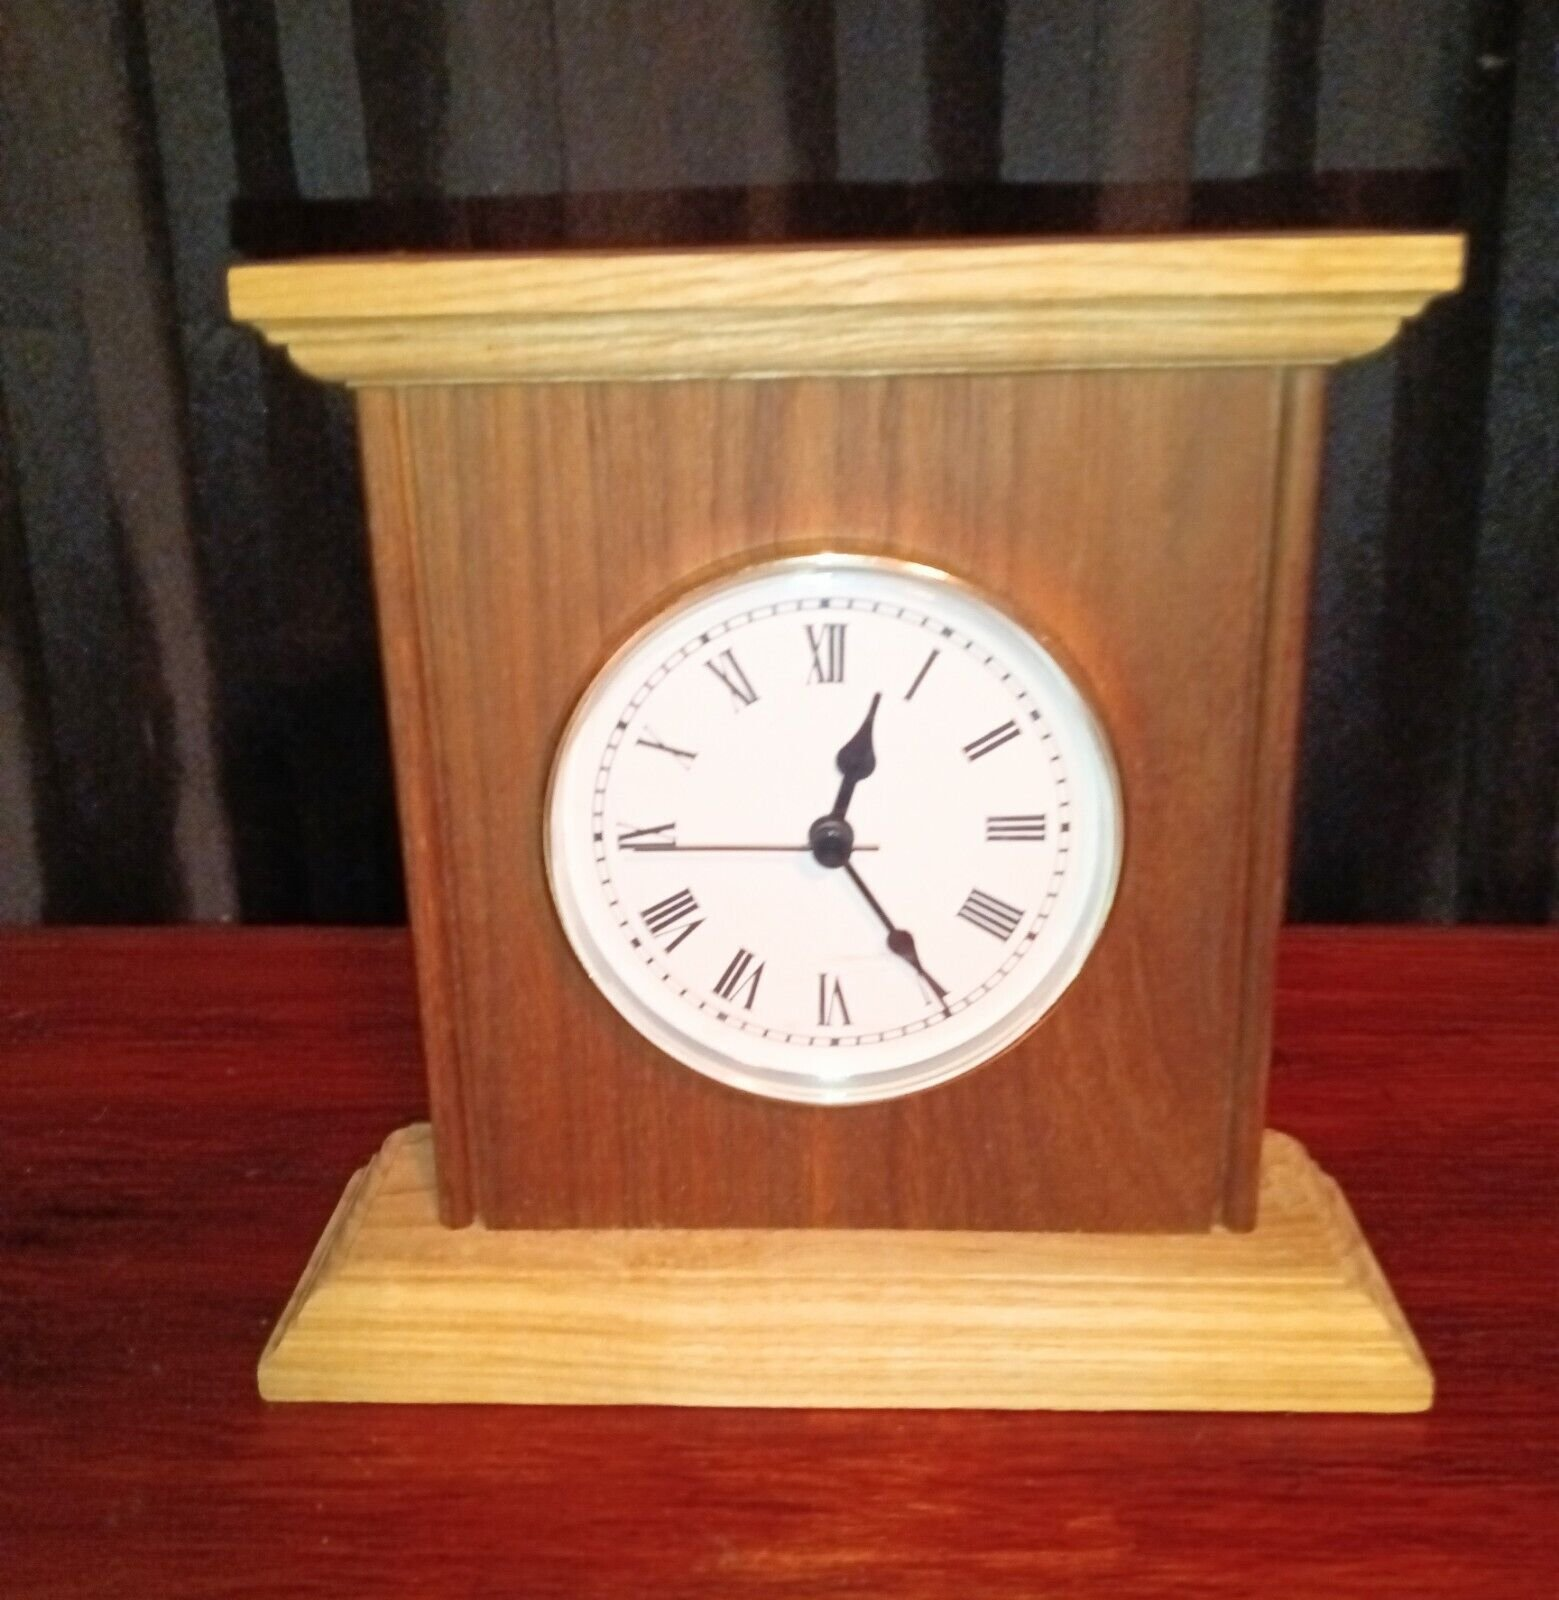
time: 12:24
